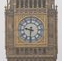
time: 9:31
